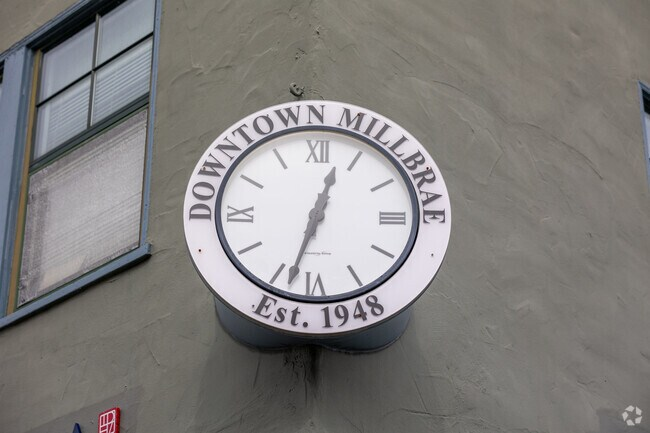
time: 12:33
